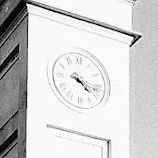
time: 4:17
